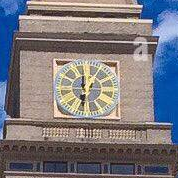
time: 5:59
